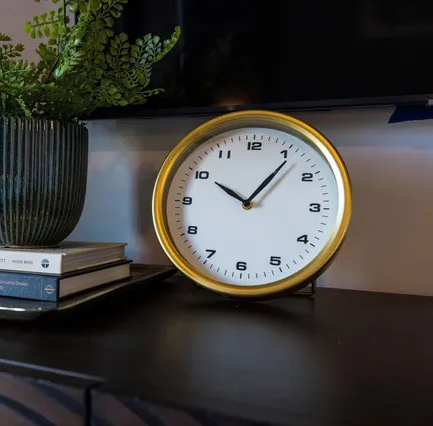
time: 10:06
